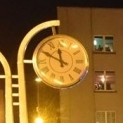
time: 11:49
